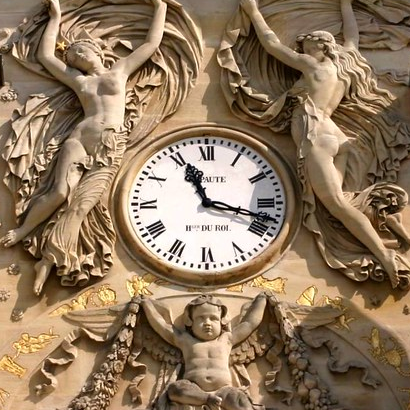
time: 11:17
